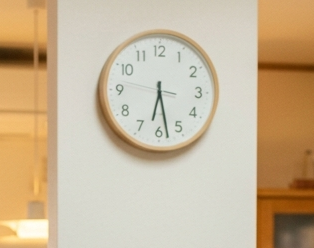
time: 6:28
